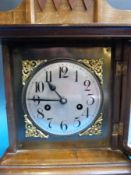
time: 10:45
